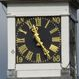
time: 11:24
